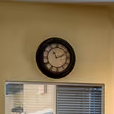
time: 11:11
